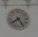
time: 7:24
